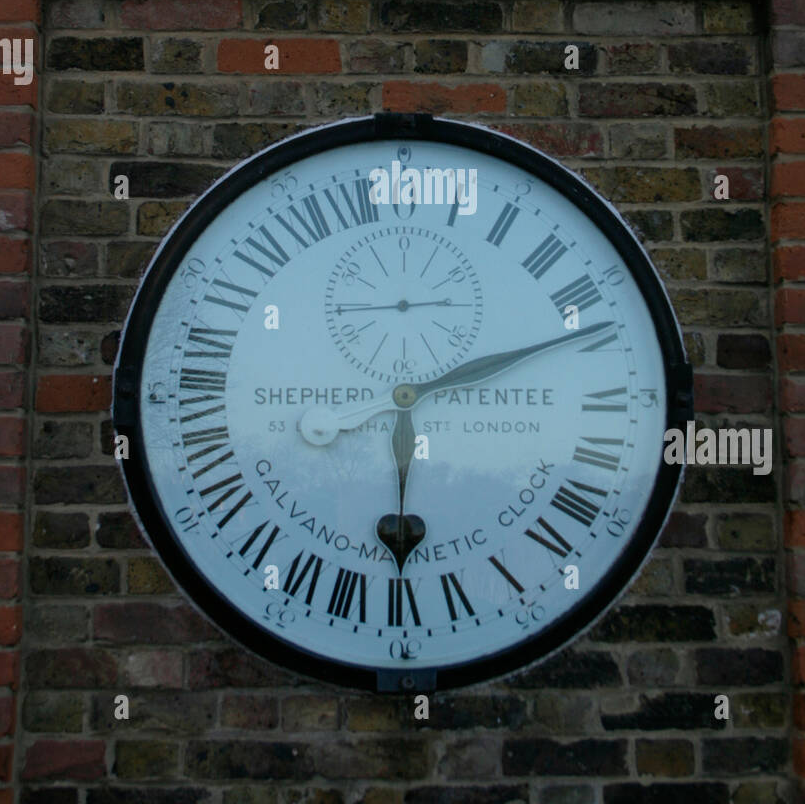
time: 6:11
